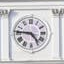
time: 4:46
